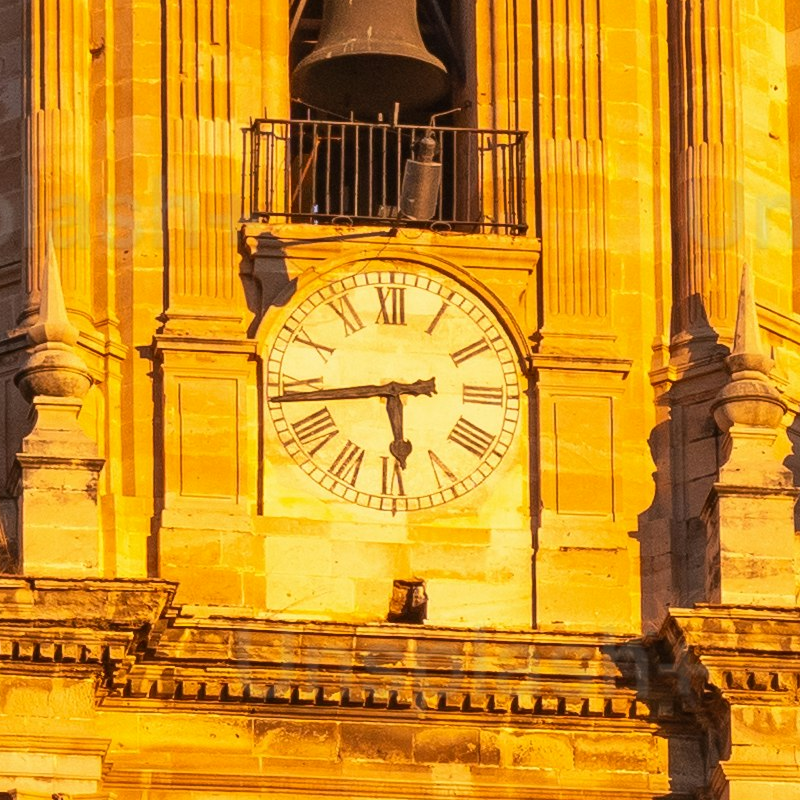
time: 5:43
